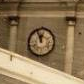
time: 11:55
